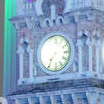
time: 7:36
